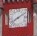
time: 8:09
